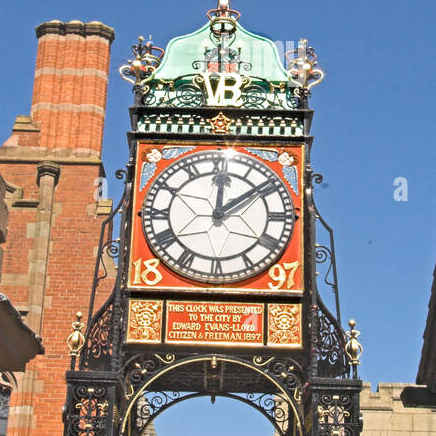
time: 12:08
